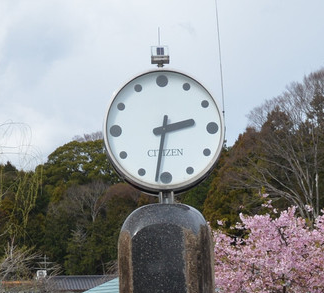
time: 2:31
